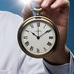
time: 10:09
